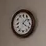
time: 4:07
